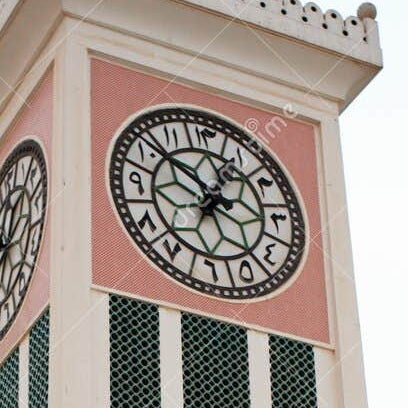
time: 12:51
